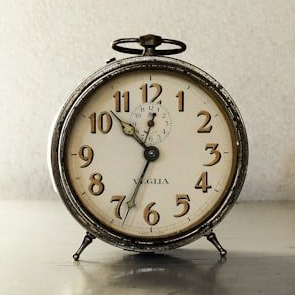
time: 10:33
